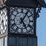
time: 5:05
